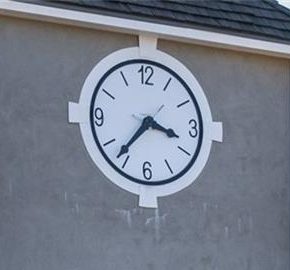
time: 3:36
